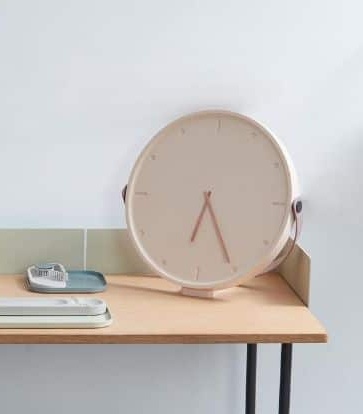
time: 6:25
